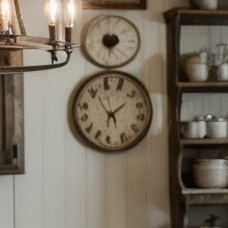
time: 1:56
